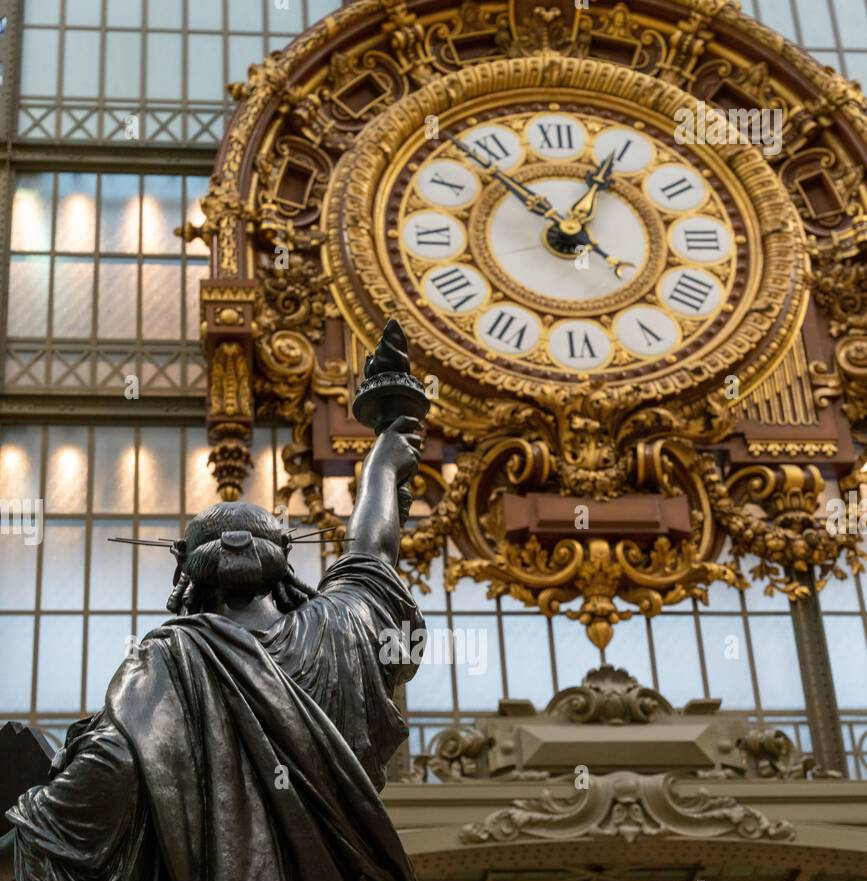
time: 12:52
